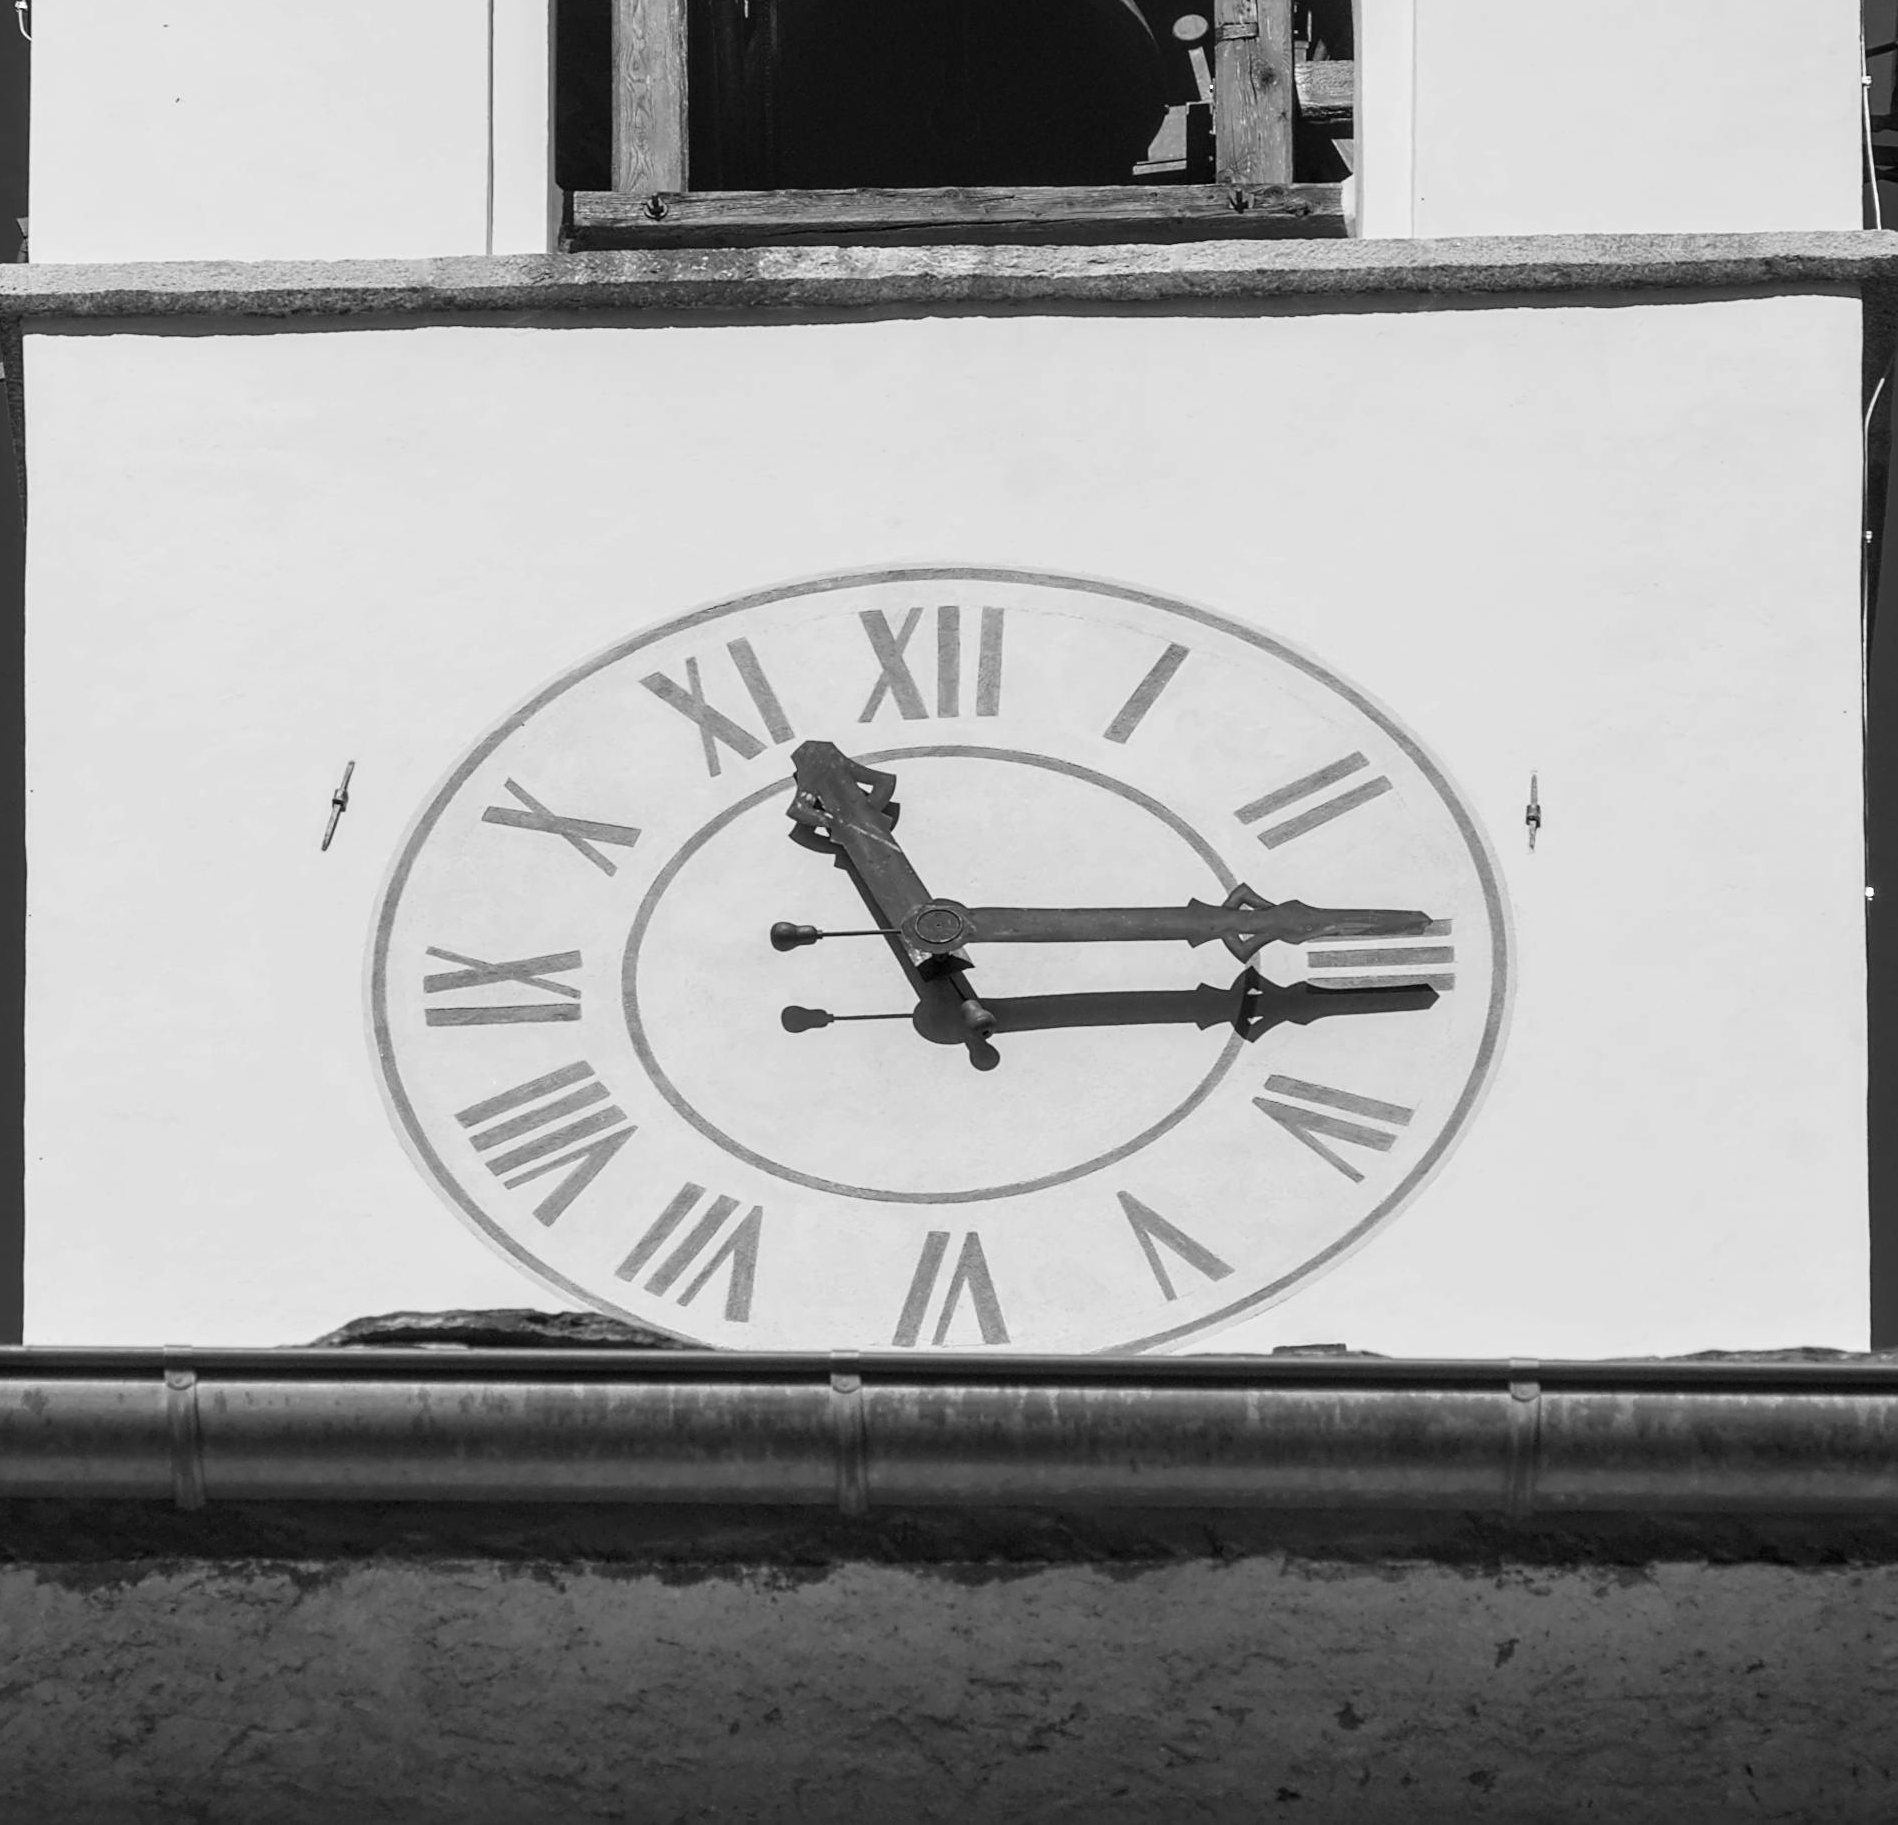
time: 11:15
